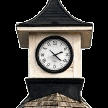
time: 2:22
